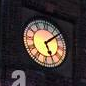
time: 5:07
